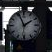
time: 1:56
